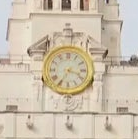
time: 3:35
